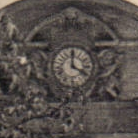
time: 4:00
